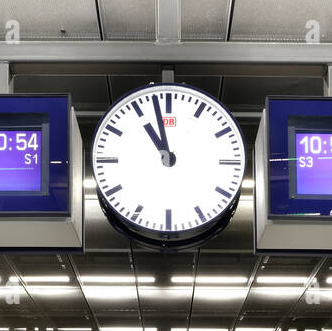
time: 10:58
